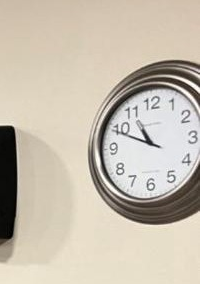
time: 10:49
